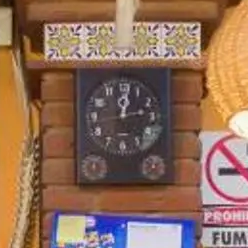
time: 12:13
